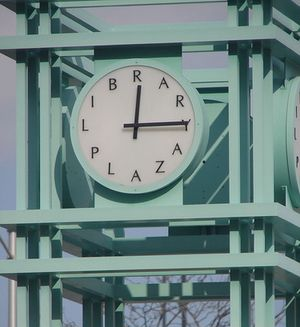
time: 12:14
